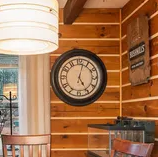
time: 5:02
